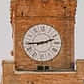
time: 2:44
